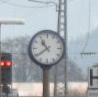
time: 10:39
